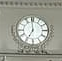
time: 6:59
